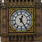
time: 12:24
